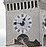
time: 12:46
